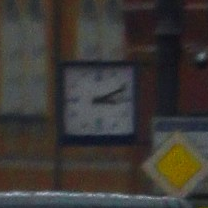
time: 3:10
